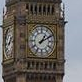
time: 1:10
